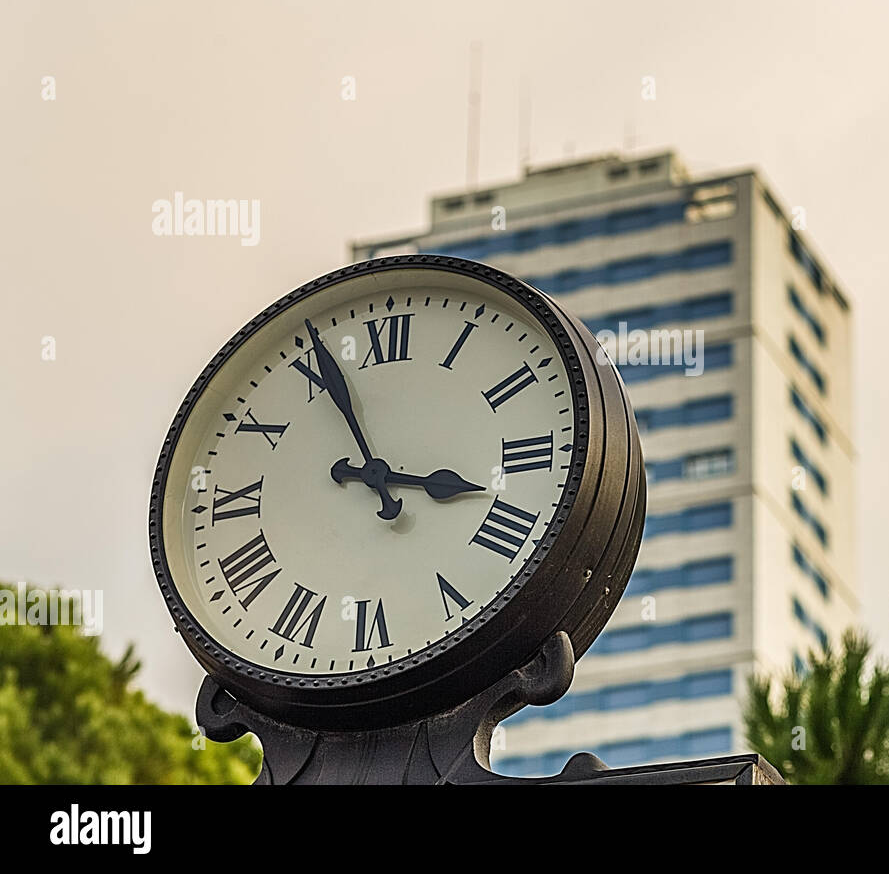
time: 3:55
